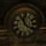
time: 11:21
